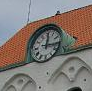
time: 12:16
